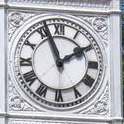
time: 1:56
